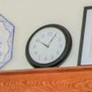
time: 10:04
